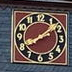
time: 8:08
